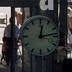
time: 12:13
